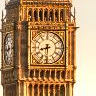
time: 8:30
